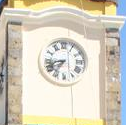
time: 7:42
